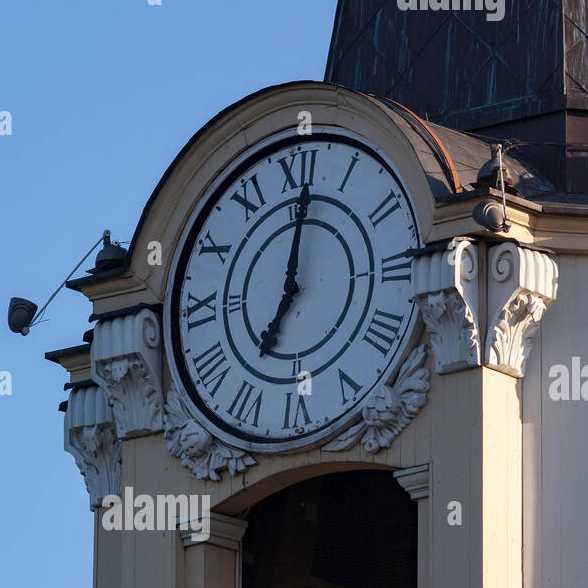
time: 7:01
